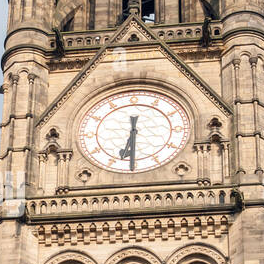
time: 6:30
